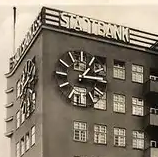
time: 1:14
